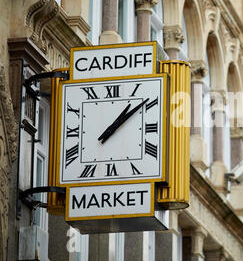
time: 1:08
